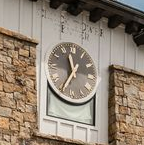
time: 11:35
